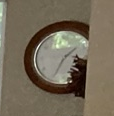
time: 1:34
